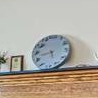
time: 8:26
